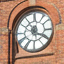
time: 12:19
